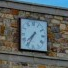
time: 7:35
